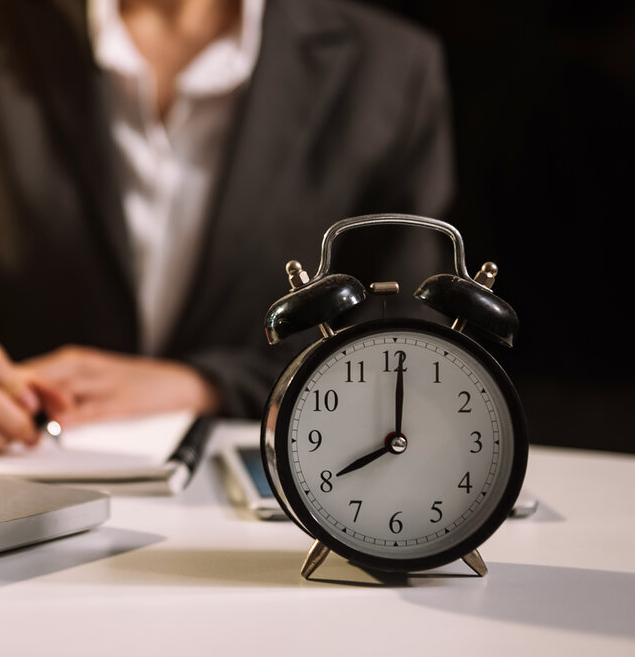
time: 8:00
